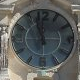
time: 11:56
